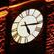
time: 5:15
